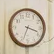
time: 3:33
